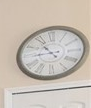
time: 8:53
